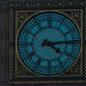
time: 4:14
